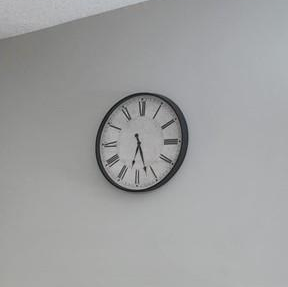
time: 6:26
